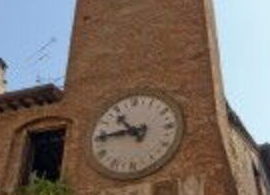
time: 10:45
